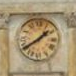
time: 1:39
